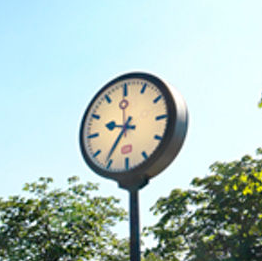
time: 9:36
